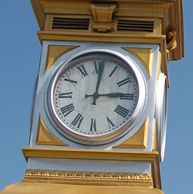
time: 3:01
